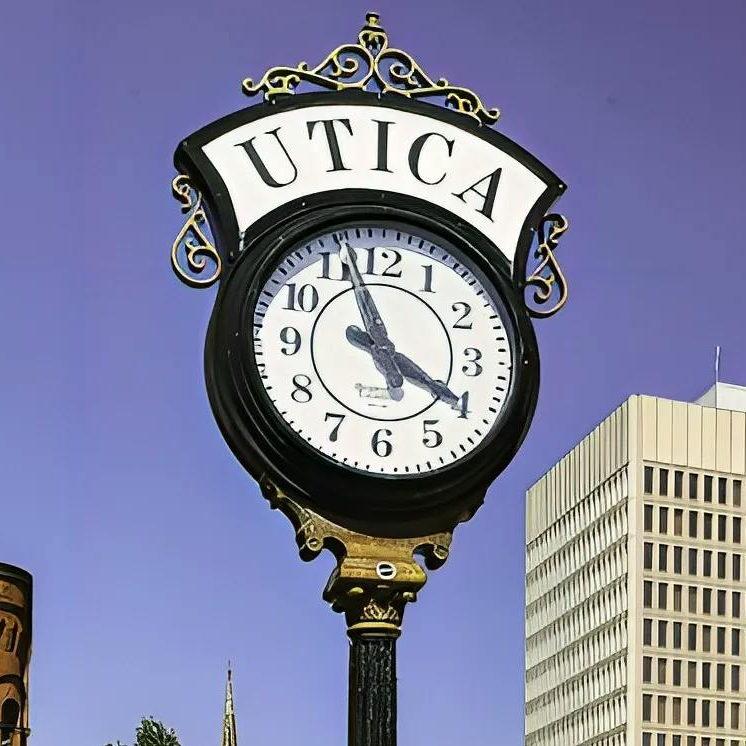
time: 3:57
